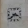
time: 3:38
